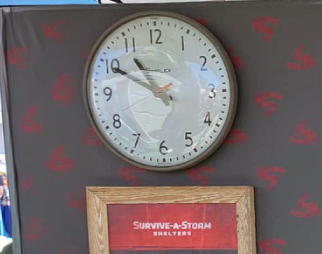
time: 10:49
